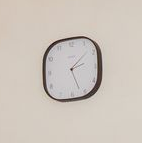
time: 2:26
